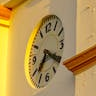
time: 7:20
